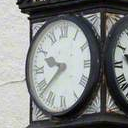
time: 9:38
